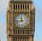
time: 11:42
